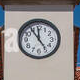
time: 11:54
